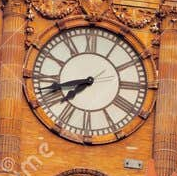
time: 7:42
